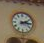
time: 2:15
